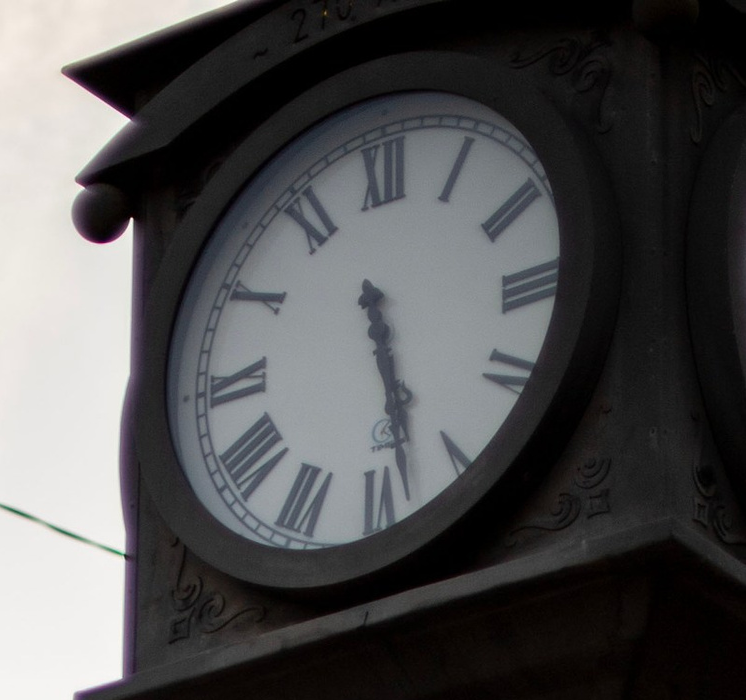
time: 5:28
